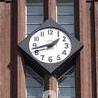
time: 1:42
